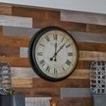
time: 12:07
